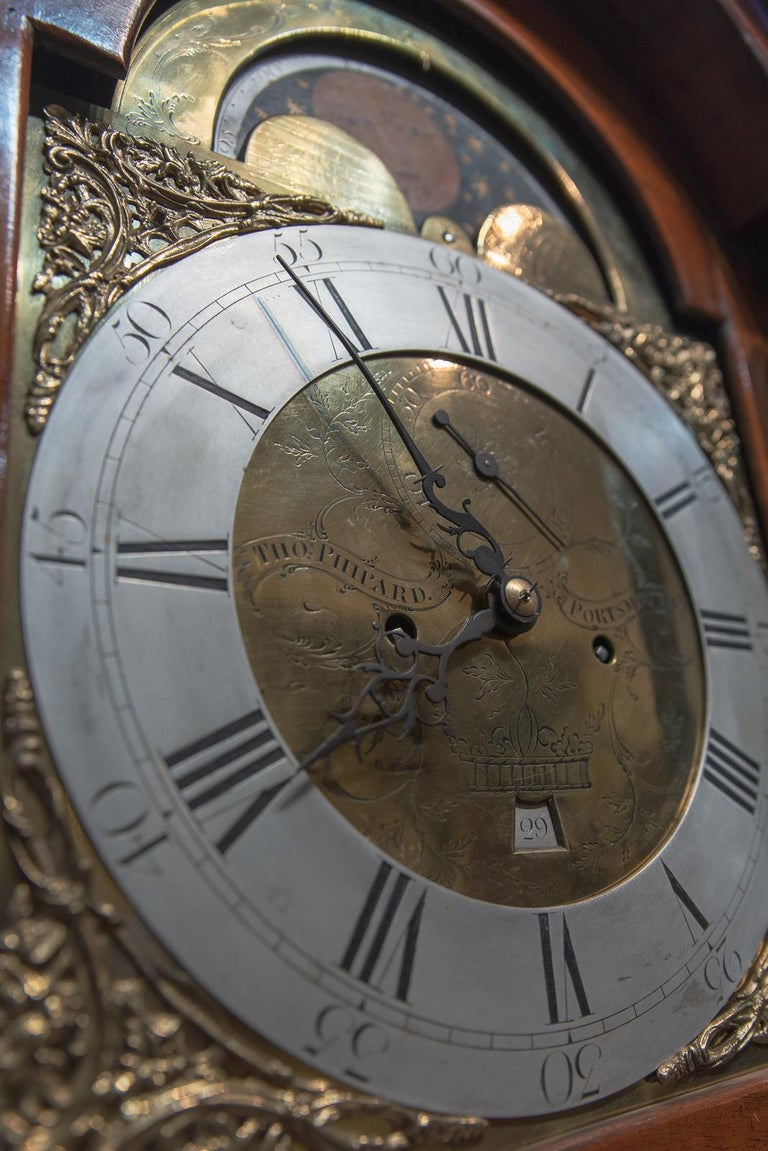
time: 7:54
